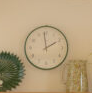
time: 1:58
